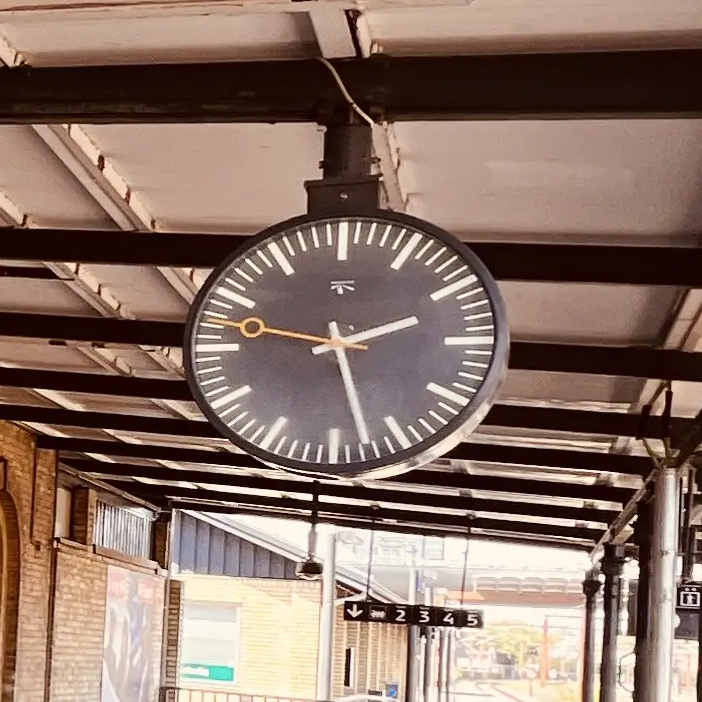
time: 2:27
